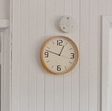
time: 12:47
